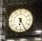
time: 6:25
